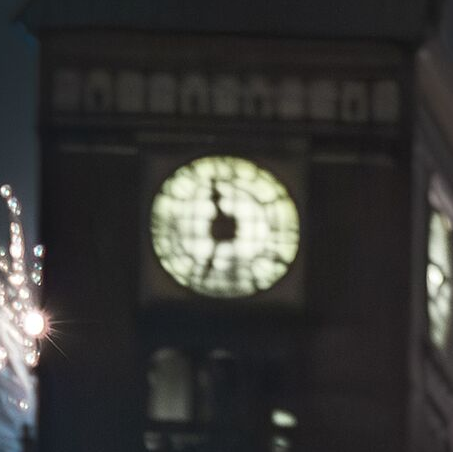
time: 11:33
